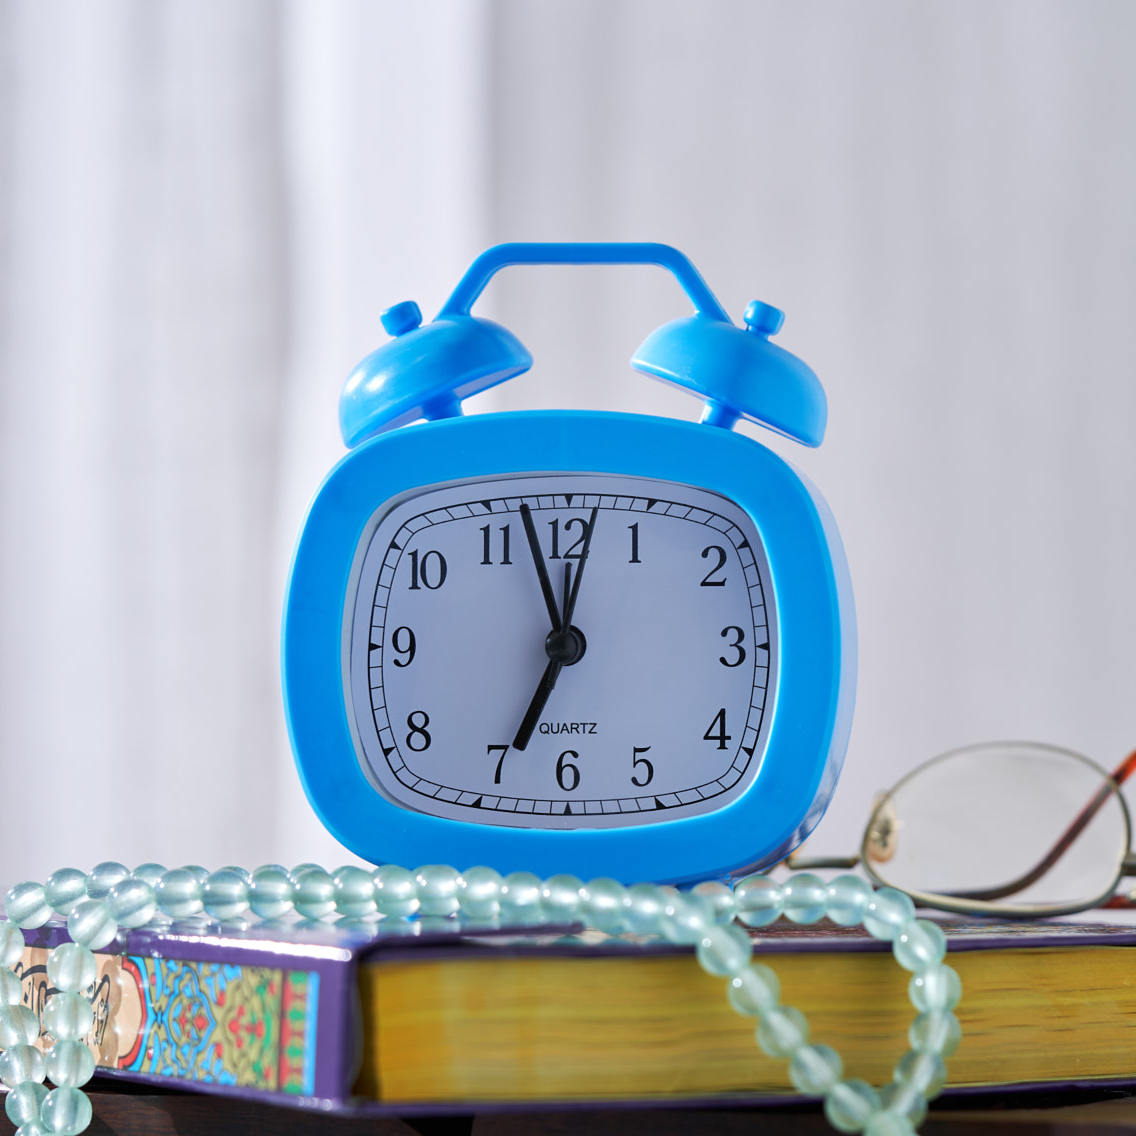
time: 6:57
